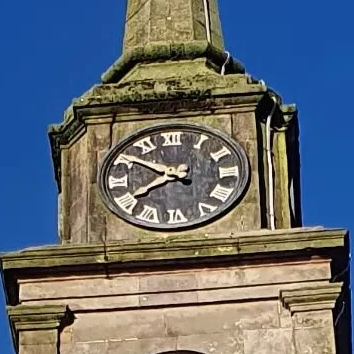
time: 7:50
